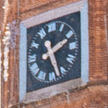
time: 2:26
